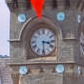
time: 3:29
